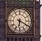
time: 6:19
